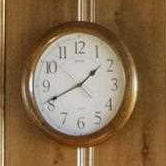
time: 1:41
